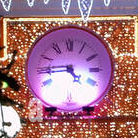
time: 4:44
